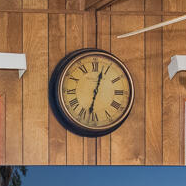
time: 12:32
